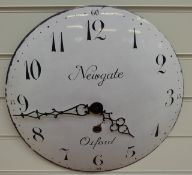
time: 4:43
